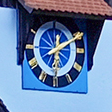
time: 12:09
